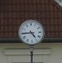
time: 4:44
